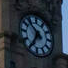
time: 6:52
